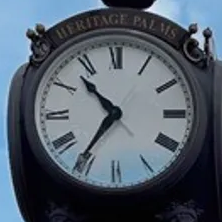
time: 10:35
